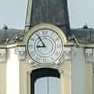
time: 8:54
